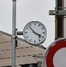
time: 3:52
